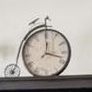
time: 12:17
